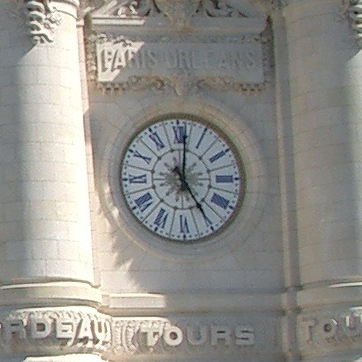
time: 5:01
